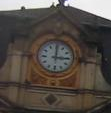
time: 3:00
